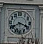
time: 3:40
